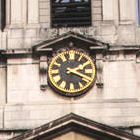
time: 2:18
